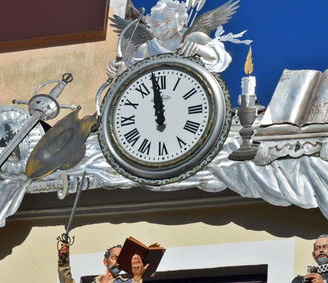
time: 11:58
